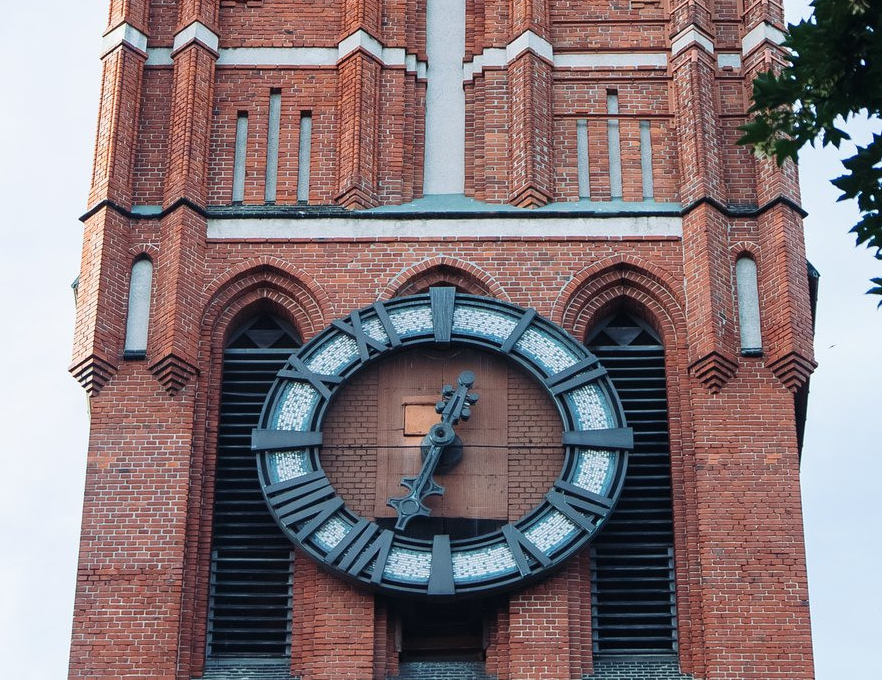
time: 12:34
